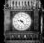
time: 9:23
